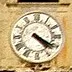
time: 4:20
